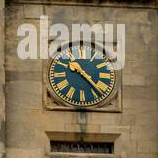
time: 4:22
